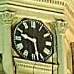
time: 9:28
